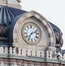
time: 7:11
